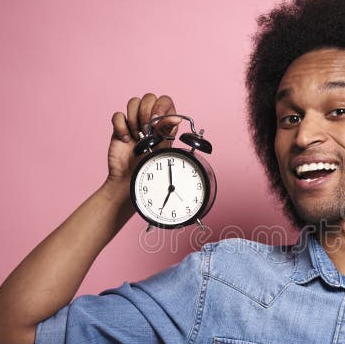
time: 7:00
